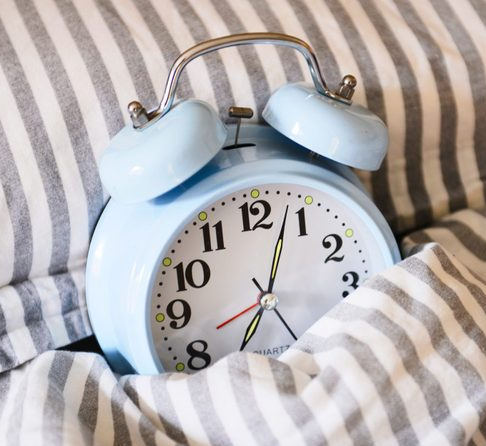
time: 7:03
